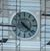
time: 4:21
